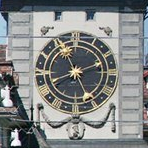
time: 11:11
